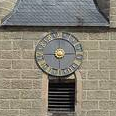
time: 2:45
